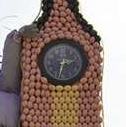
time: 2:32
